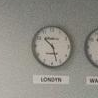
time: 10:27
